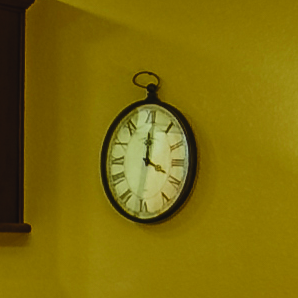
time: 4:00
